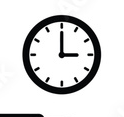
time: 2:59
